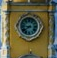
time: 8:38
